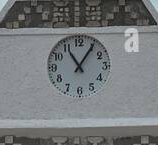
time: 11:05
